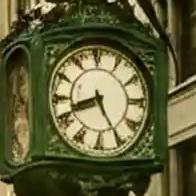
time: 8:25
